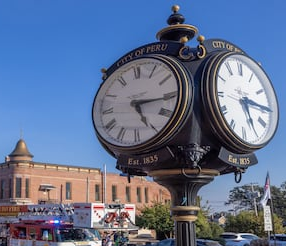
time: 5:15
